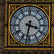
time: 3:32
